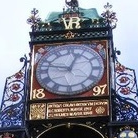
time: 12:47
